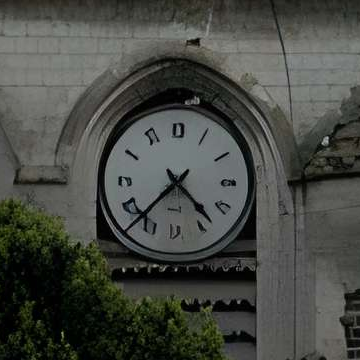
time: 4:37
